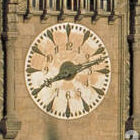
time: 8:12
